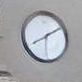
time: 8:09
